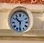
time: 10:31
